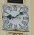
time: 9:08
